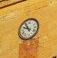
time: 9:54
